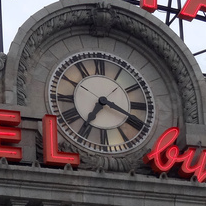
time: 3:35
